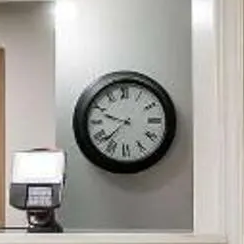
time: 9:37
